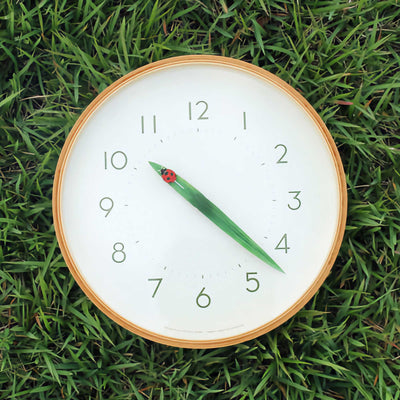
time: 4:21
